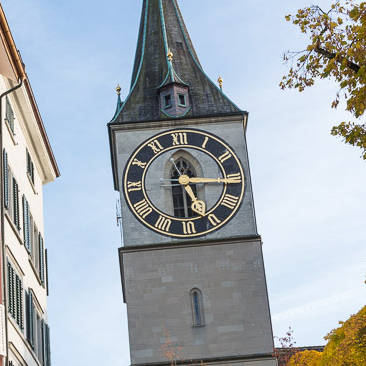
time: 5:15
